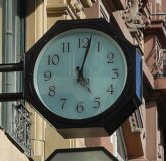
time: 5:02
